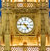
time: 4:45
